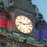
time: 9:12
